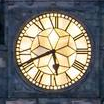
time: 5:41
